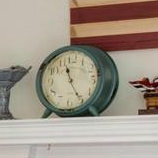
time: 11:25
